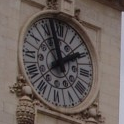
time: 1:57
